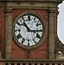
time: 10:15
